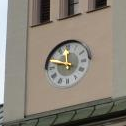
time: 11:48
